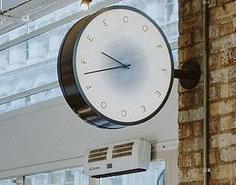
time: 9:42
